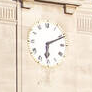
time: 6:11
